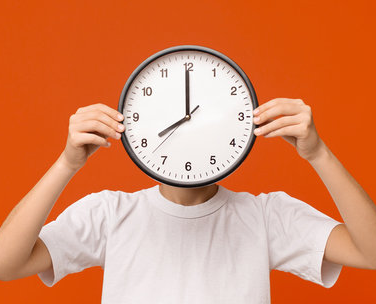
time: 7:59
